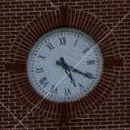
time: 5:20
